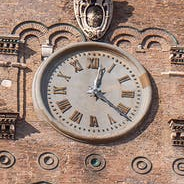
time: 12:21
